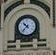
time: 10:37
